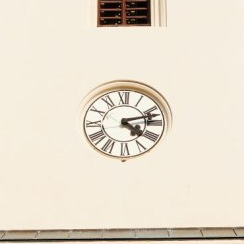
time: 4:12
